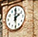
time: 2:00
